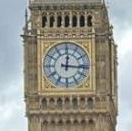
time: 12:16
